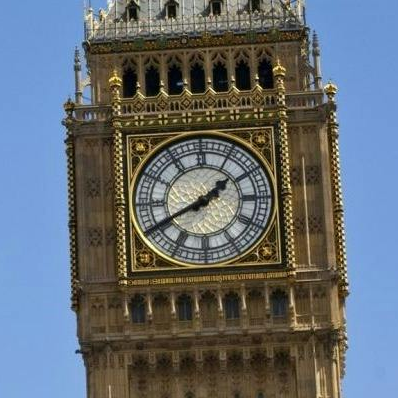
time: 1:40
